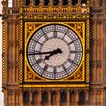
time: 7:44
